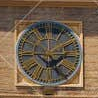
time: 5:14
